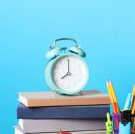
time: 8:01
